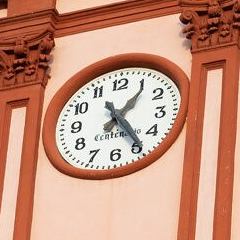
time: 1:24
